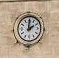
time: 2:00
